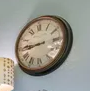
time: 8:45
